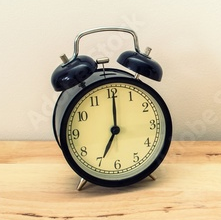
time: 7:00
